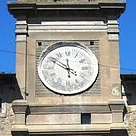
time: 11:50
